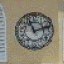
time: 11:12
